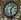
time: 1:28
